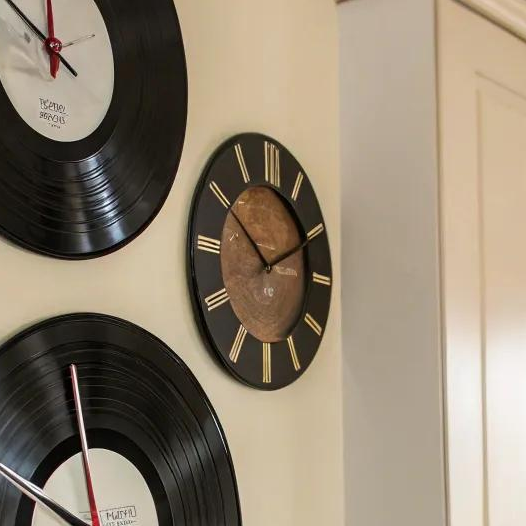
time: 10:10
